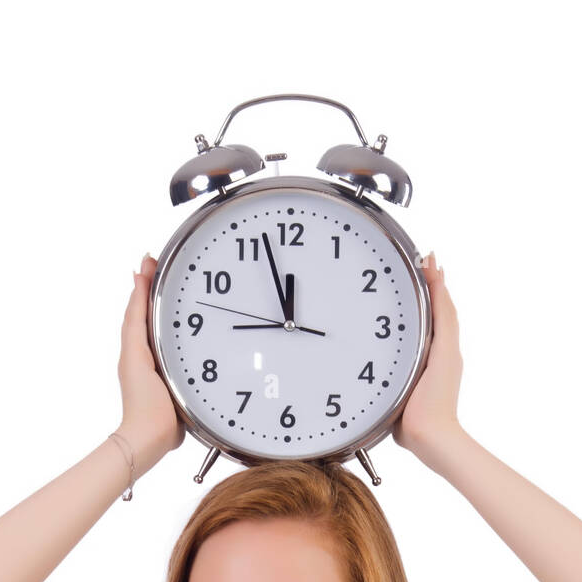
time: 11:57
